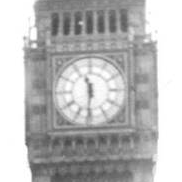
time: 11:31
